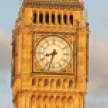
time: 8:32
